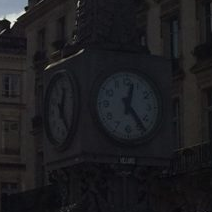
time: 12:23
